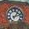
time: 1:11
